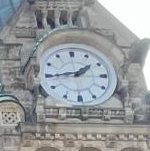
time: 1:44
